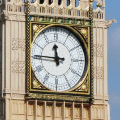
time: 11:45
